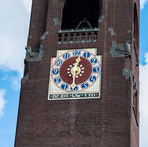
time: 12:30
